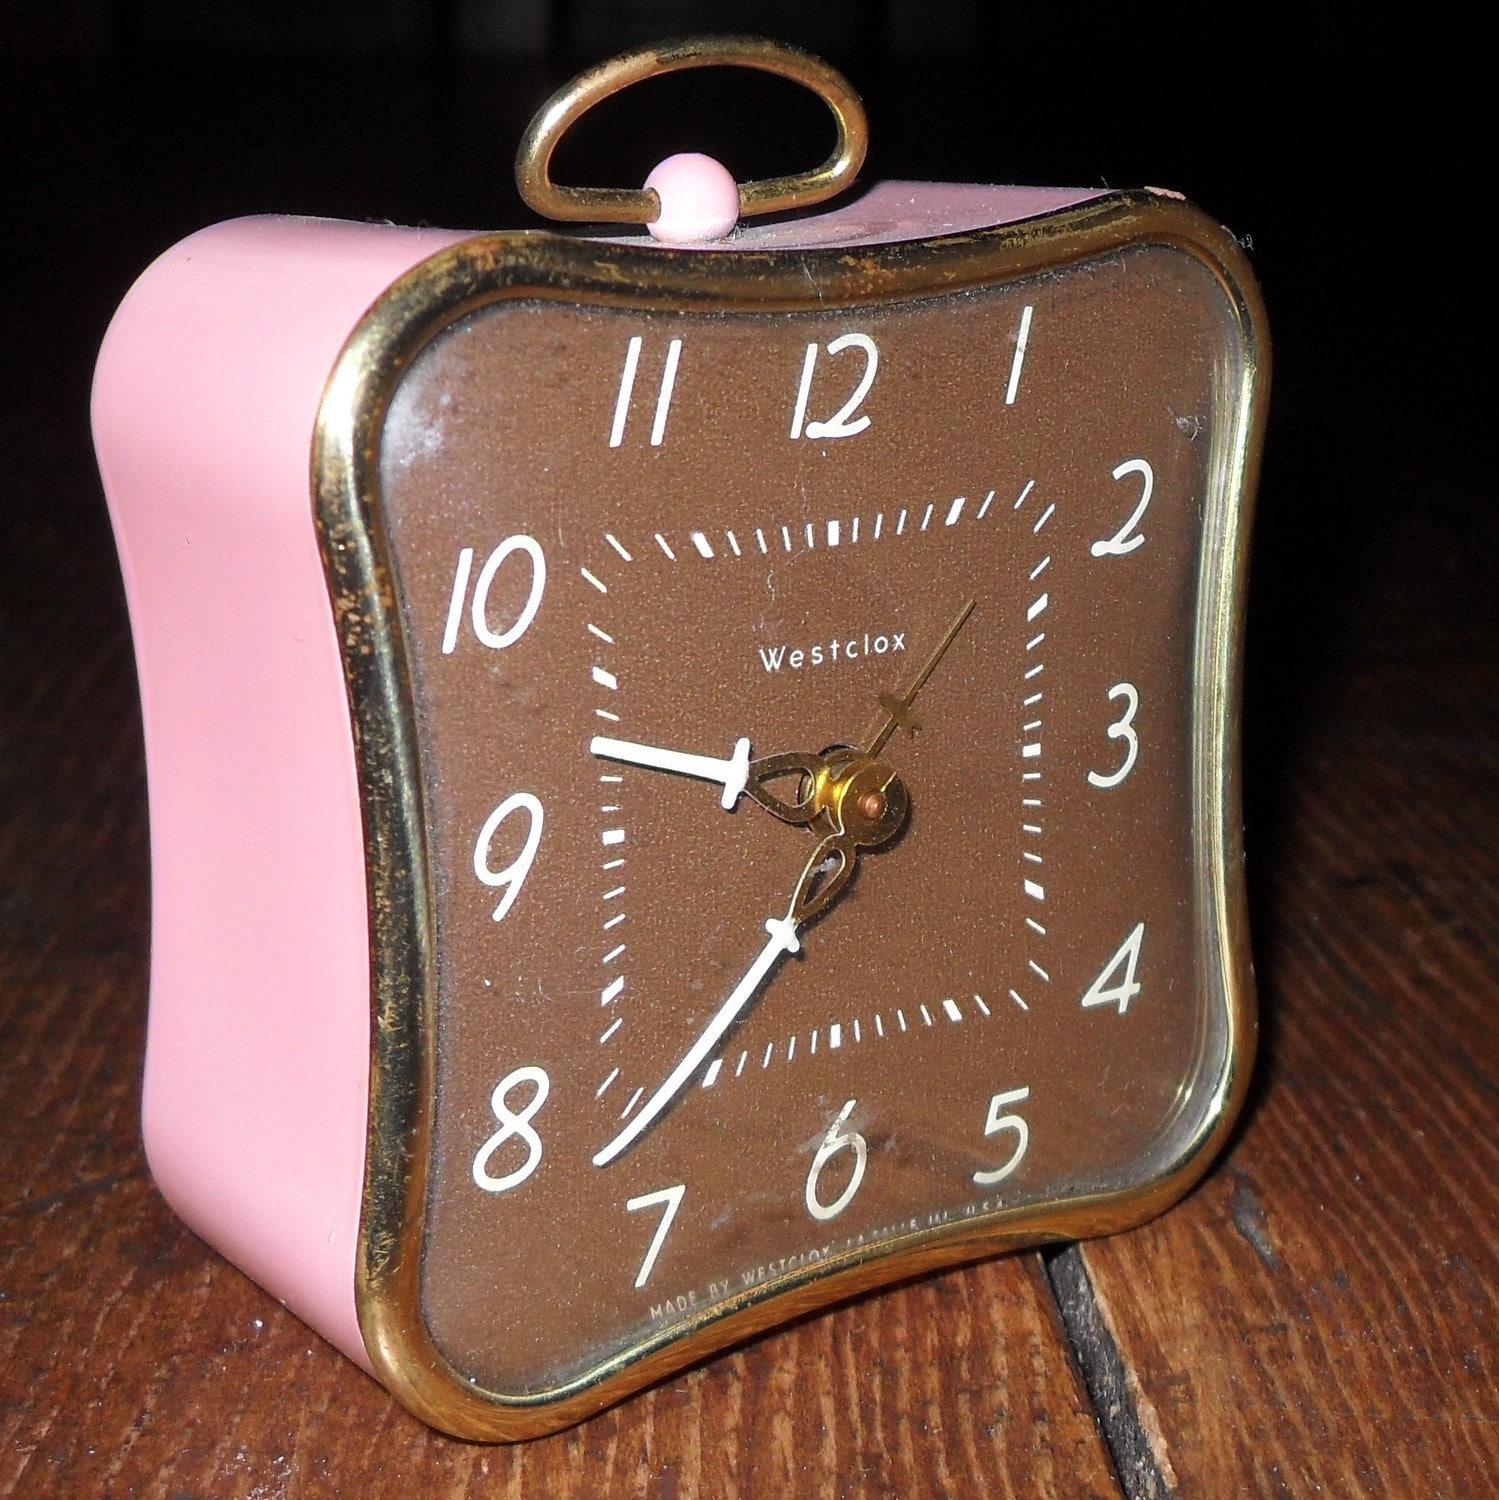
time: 9:37
